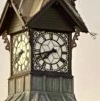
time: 7:42
